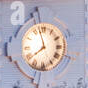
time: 7:57
